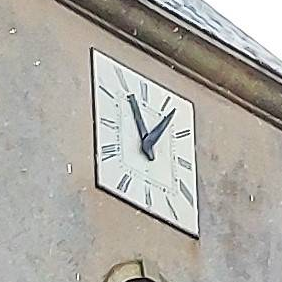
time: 11:06
